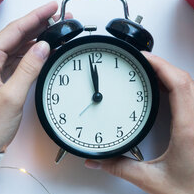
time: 11:58
